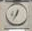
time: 12:34
